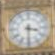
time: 3:30
